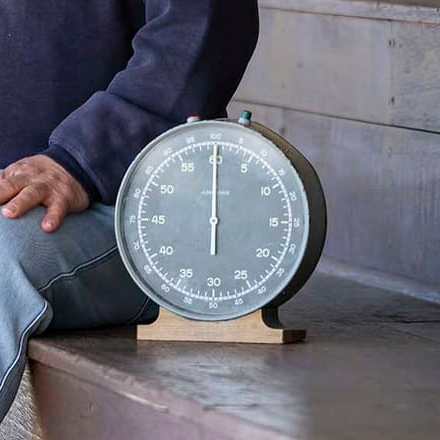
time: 6:00
